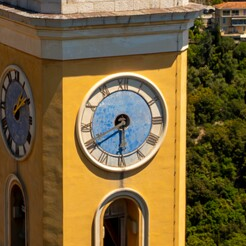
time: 5:40
